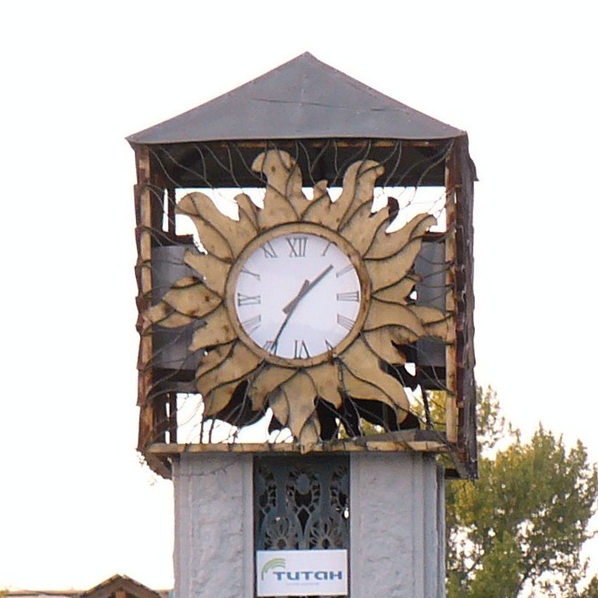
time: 1:34
